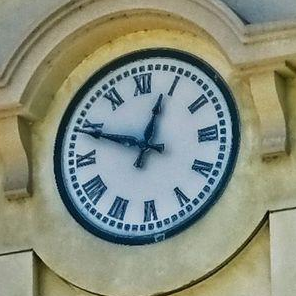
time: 12:48
